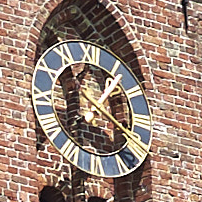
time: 1:20
